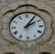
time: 2:05
